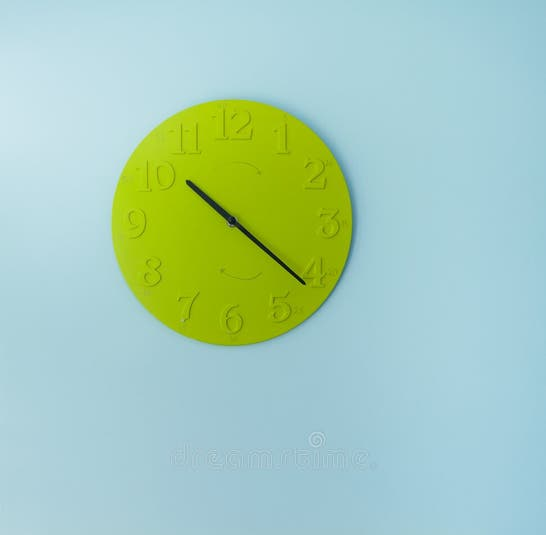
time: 10:21
